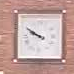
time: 9:50
